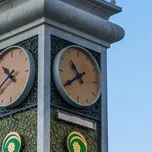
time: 10:38
